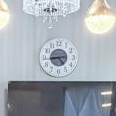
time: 4:44
